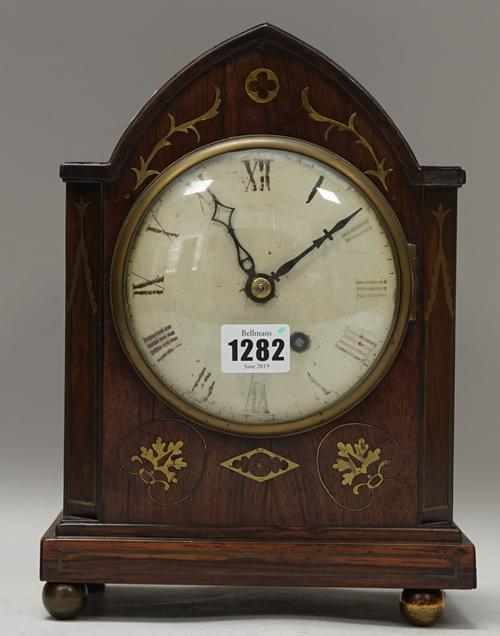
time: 11:09
